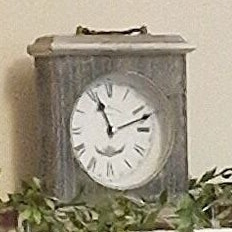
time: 11:11
